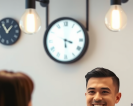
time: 3:29
